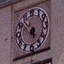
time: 4:52
